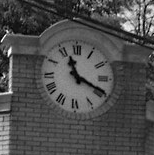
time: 11:19
